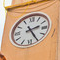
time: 2:25
